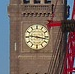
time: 9:16
